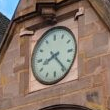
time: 8:23
